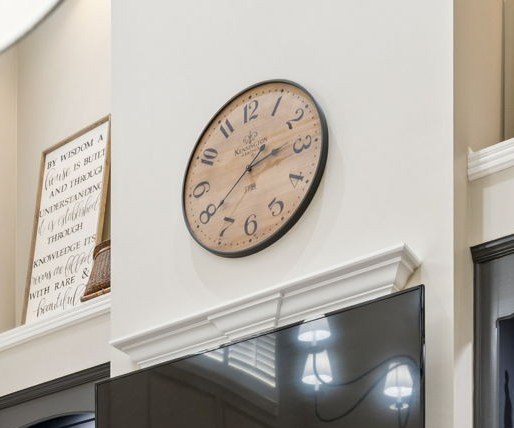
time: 2:39
